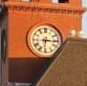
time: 6:15
